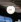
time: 4:42
